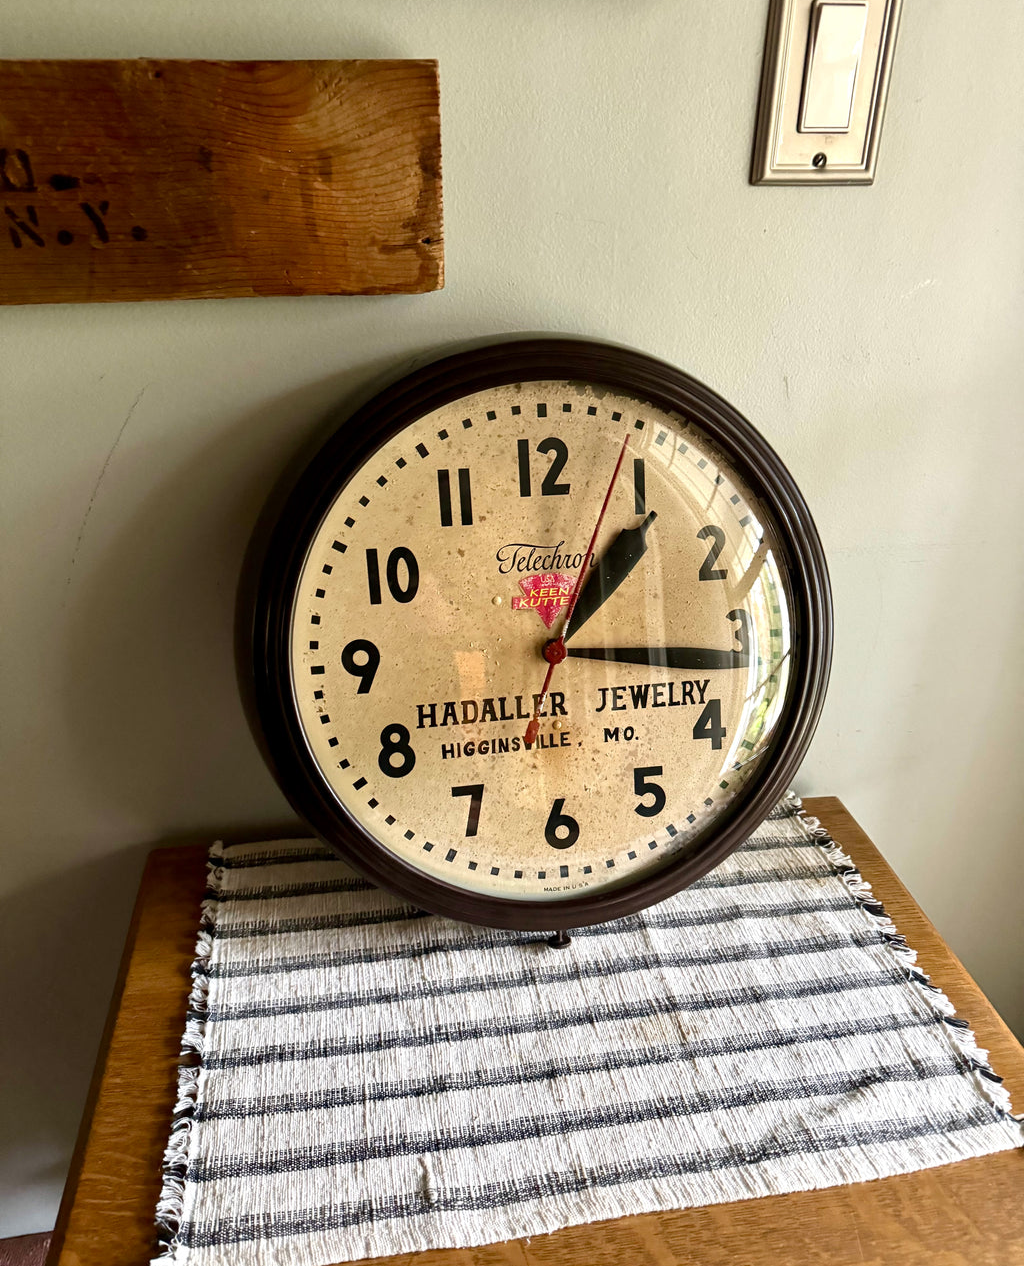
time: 1:16
